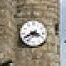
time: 3:40
